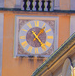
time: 1:23
